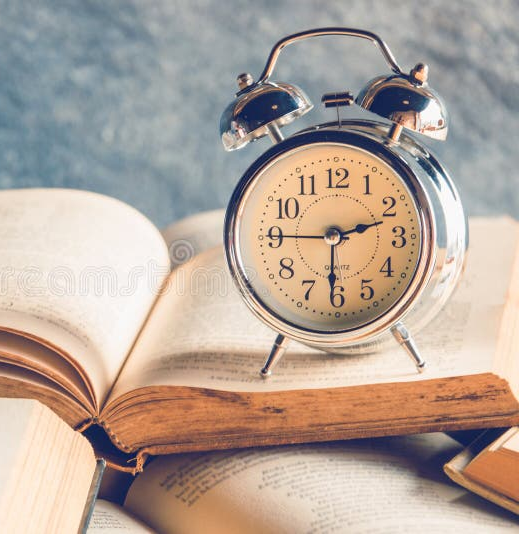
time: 2:30
